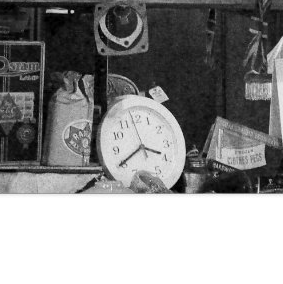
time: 3:40
